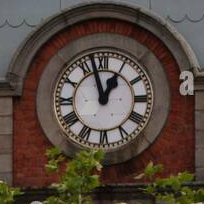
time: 12:57
